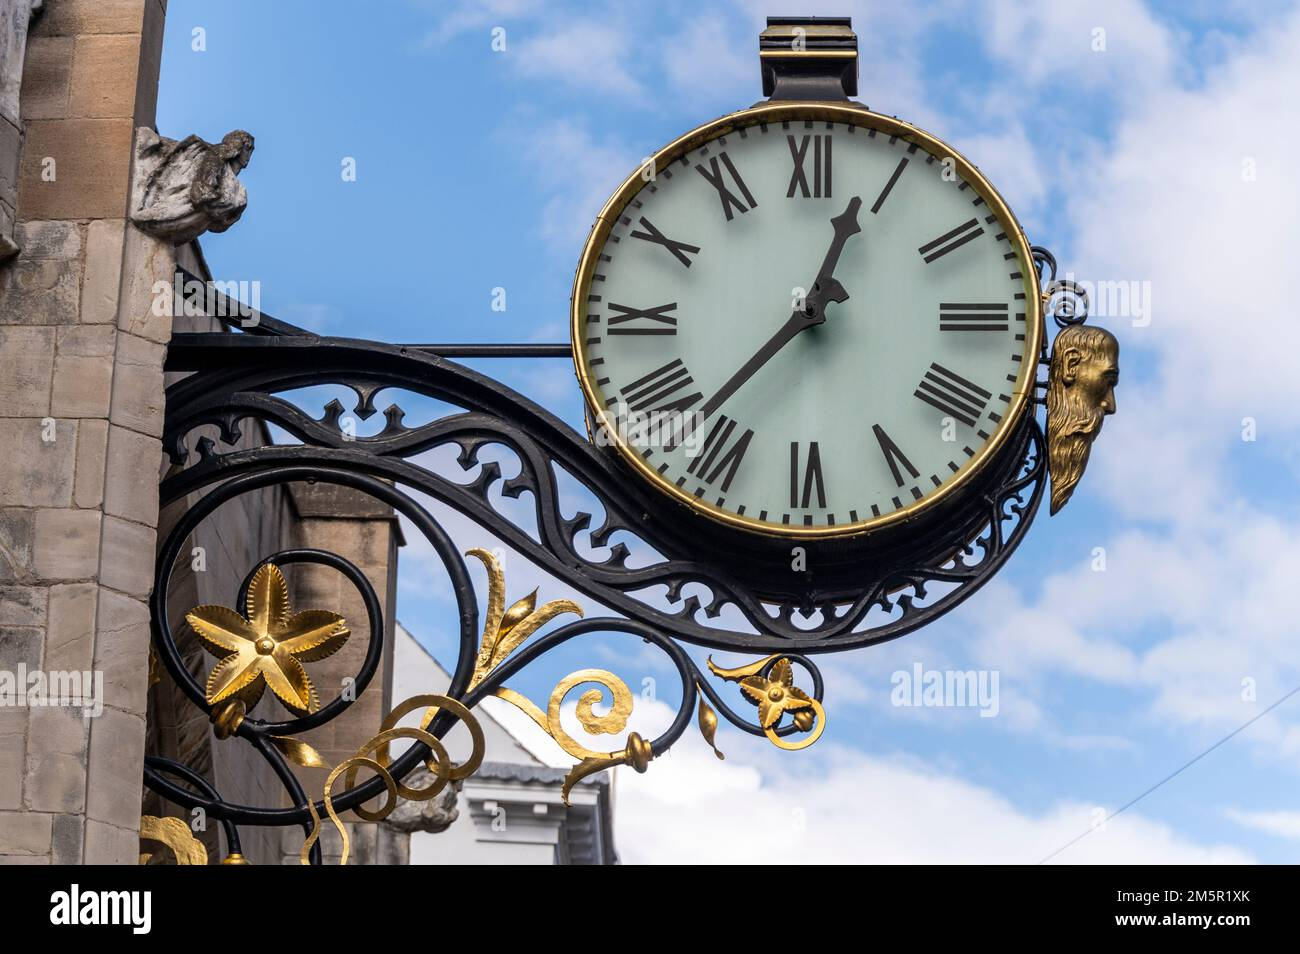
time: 12:37
